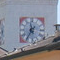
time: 11:35
